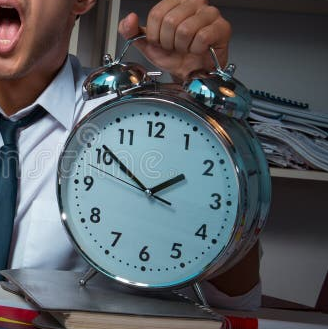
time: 1:51
